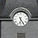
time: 6:24
